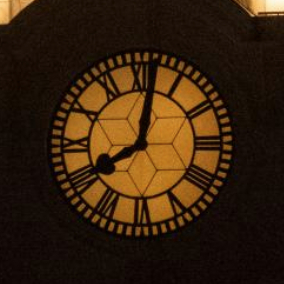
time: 8:01
